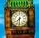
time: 7:31
